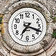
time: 7:18
